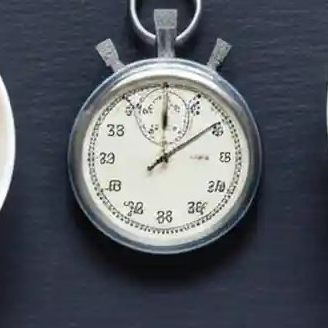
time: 12:09
